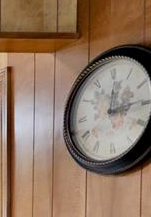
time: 12:14
